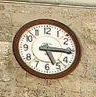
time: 5:15
